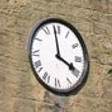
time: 3:58
